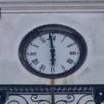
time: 5:58
